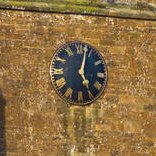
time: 5:02
